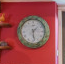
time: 1:28
